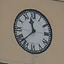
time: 11:37
